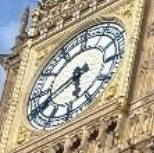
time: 5:40
